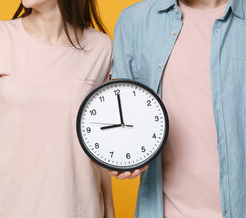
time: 9:00
